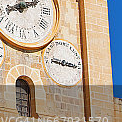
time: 9:15
